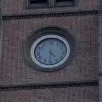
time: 4:31
